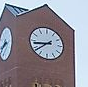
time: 8:38
